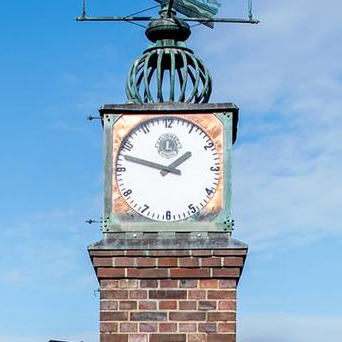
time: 1:47
